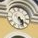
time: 4:26
